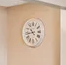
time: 10:43
